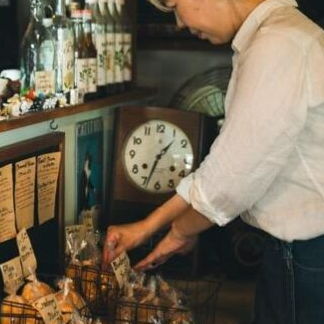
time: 1:33
